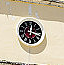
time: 12:17
